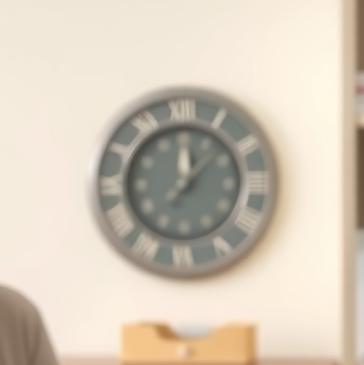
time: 12:07
